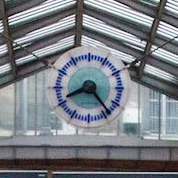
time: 8:23
